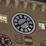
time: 1:39
